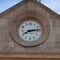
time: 8:13
